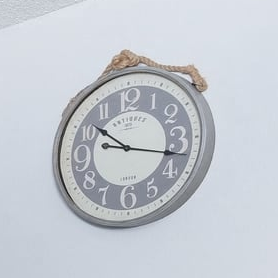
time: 10:17
